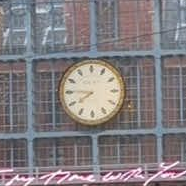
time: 7:45
